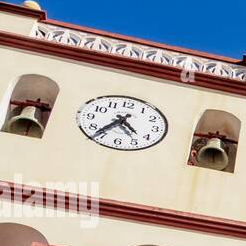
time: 4:36
